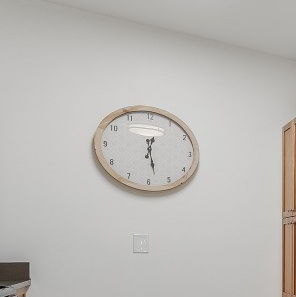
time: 12:27
